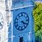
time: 4:20
